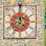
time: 7:00
